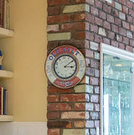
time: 3:09
